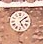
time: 5:08
